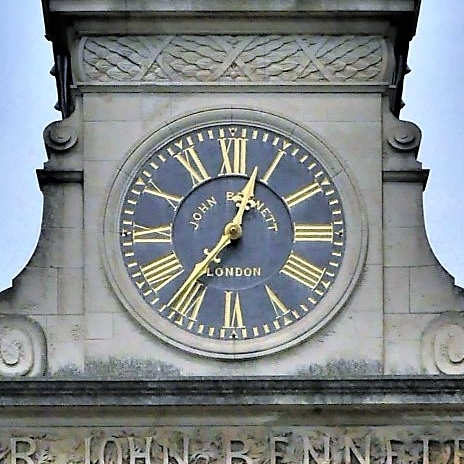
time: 12:36
